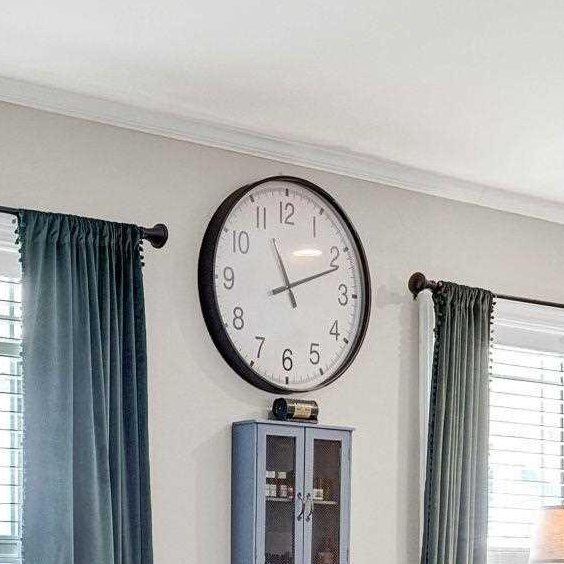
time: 11:11
